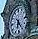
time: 6:23
